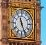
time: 11:25
